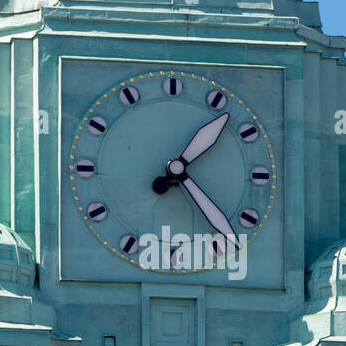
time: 1:23
